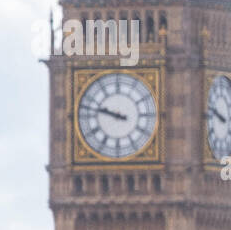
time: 9:47
